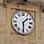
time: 1:29
